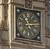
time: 11:13
